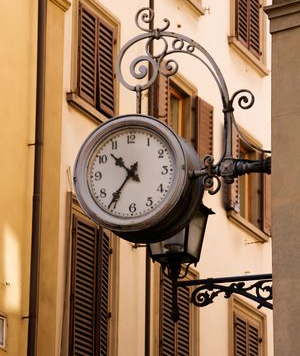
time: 10:36
